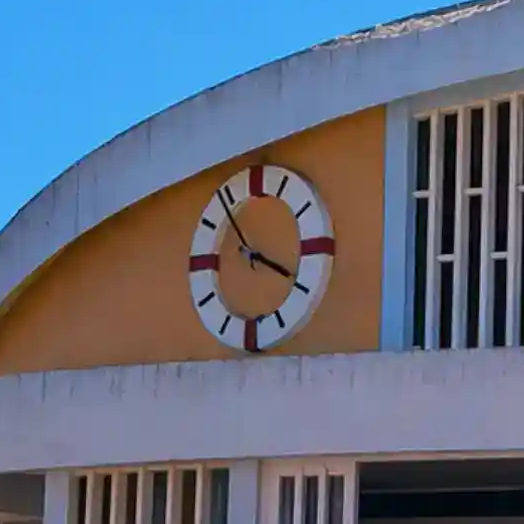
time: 3:53
